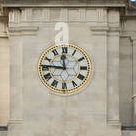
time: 11:45
